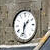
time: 1:32
